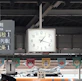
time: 1:18
